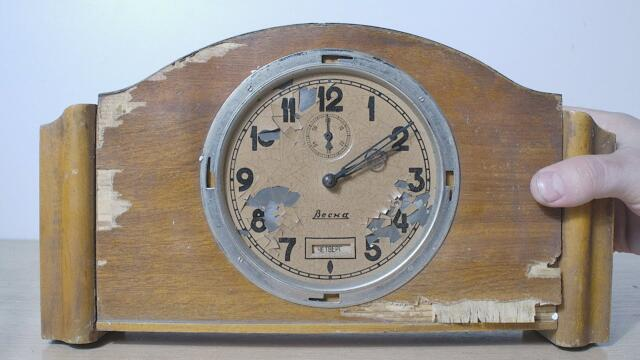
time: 2:09
